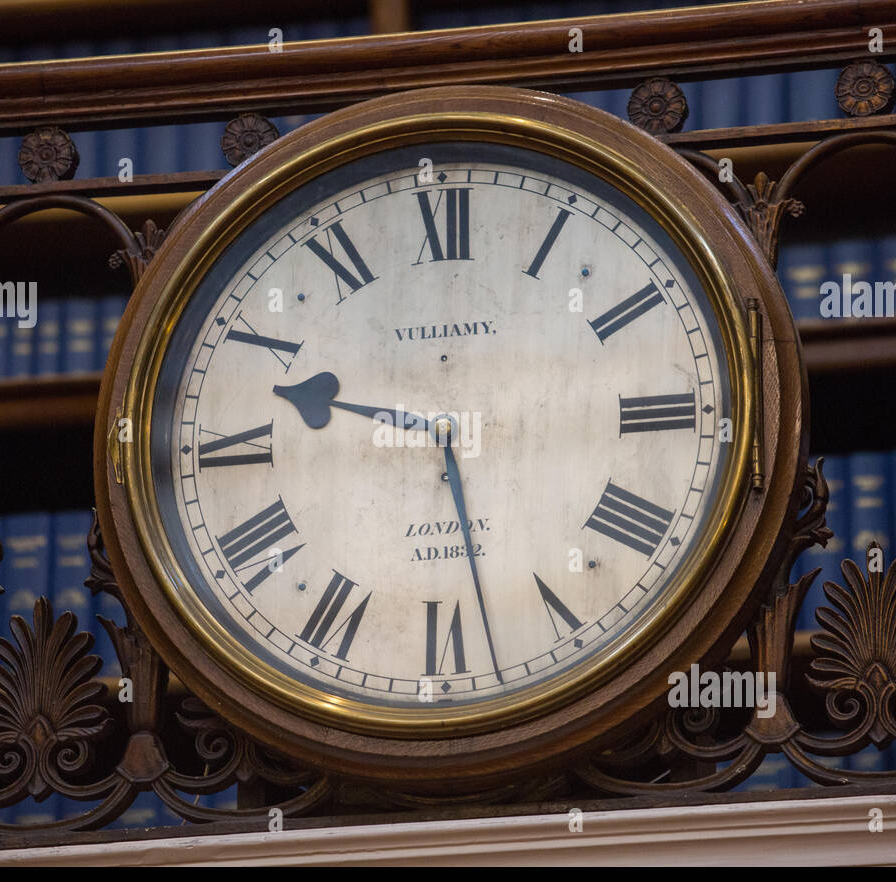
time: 9:28
